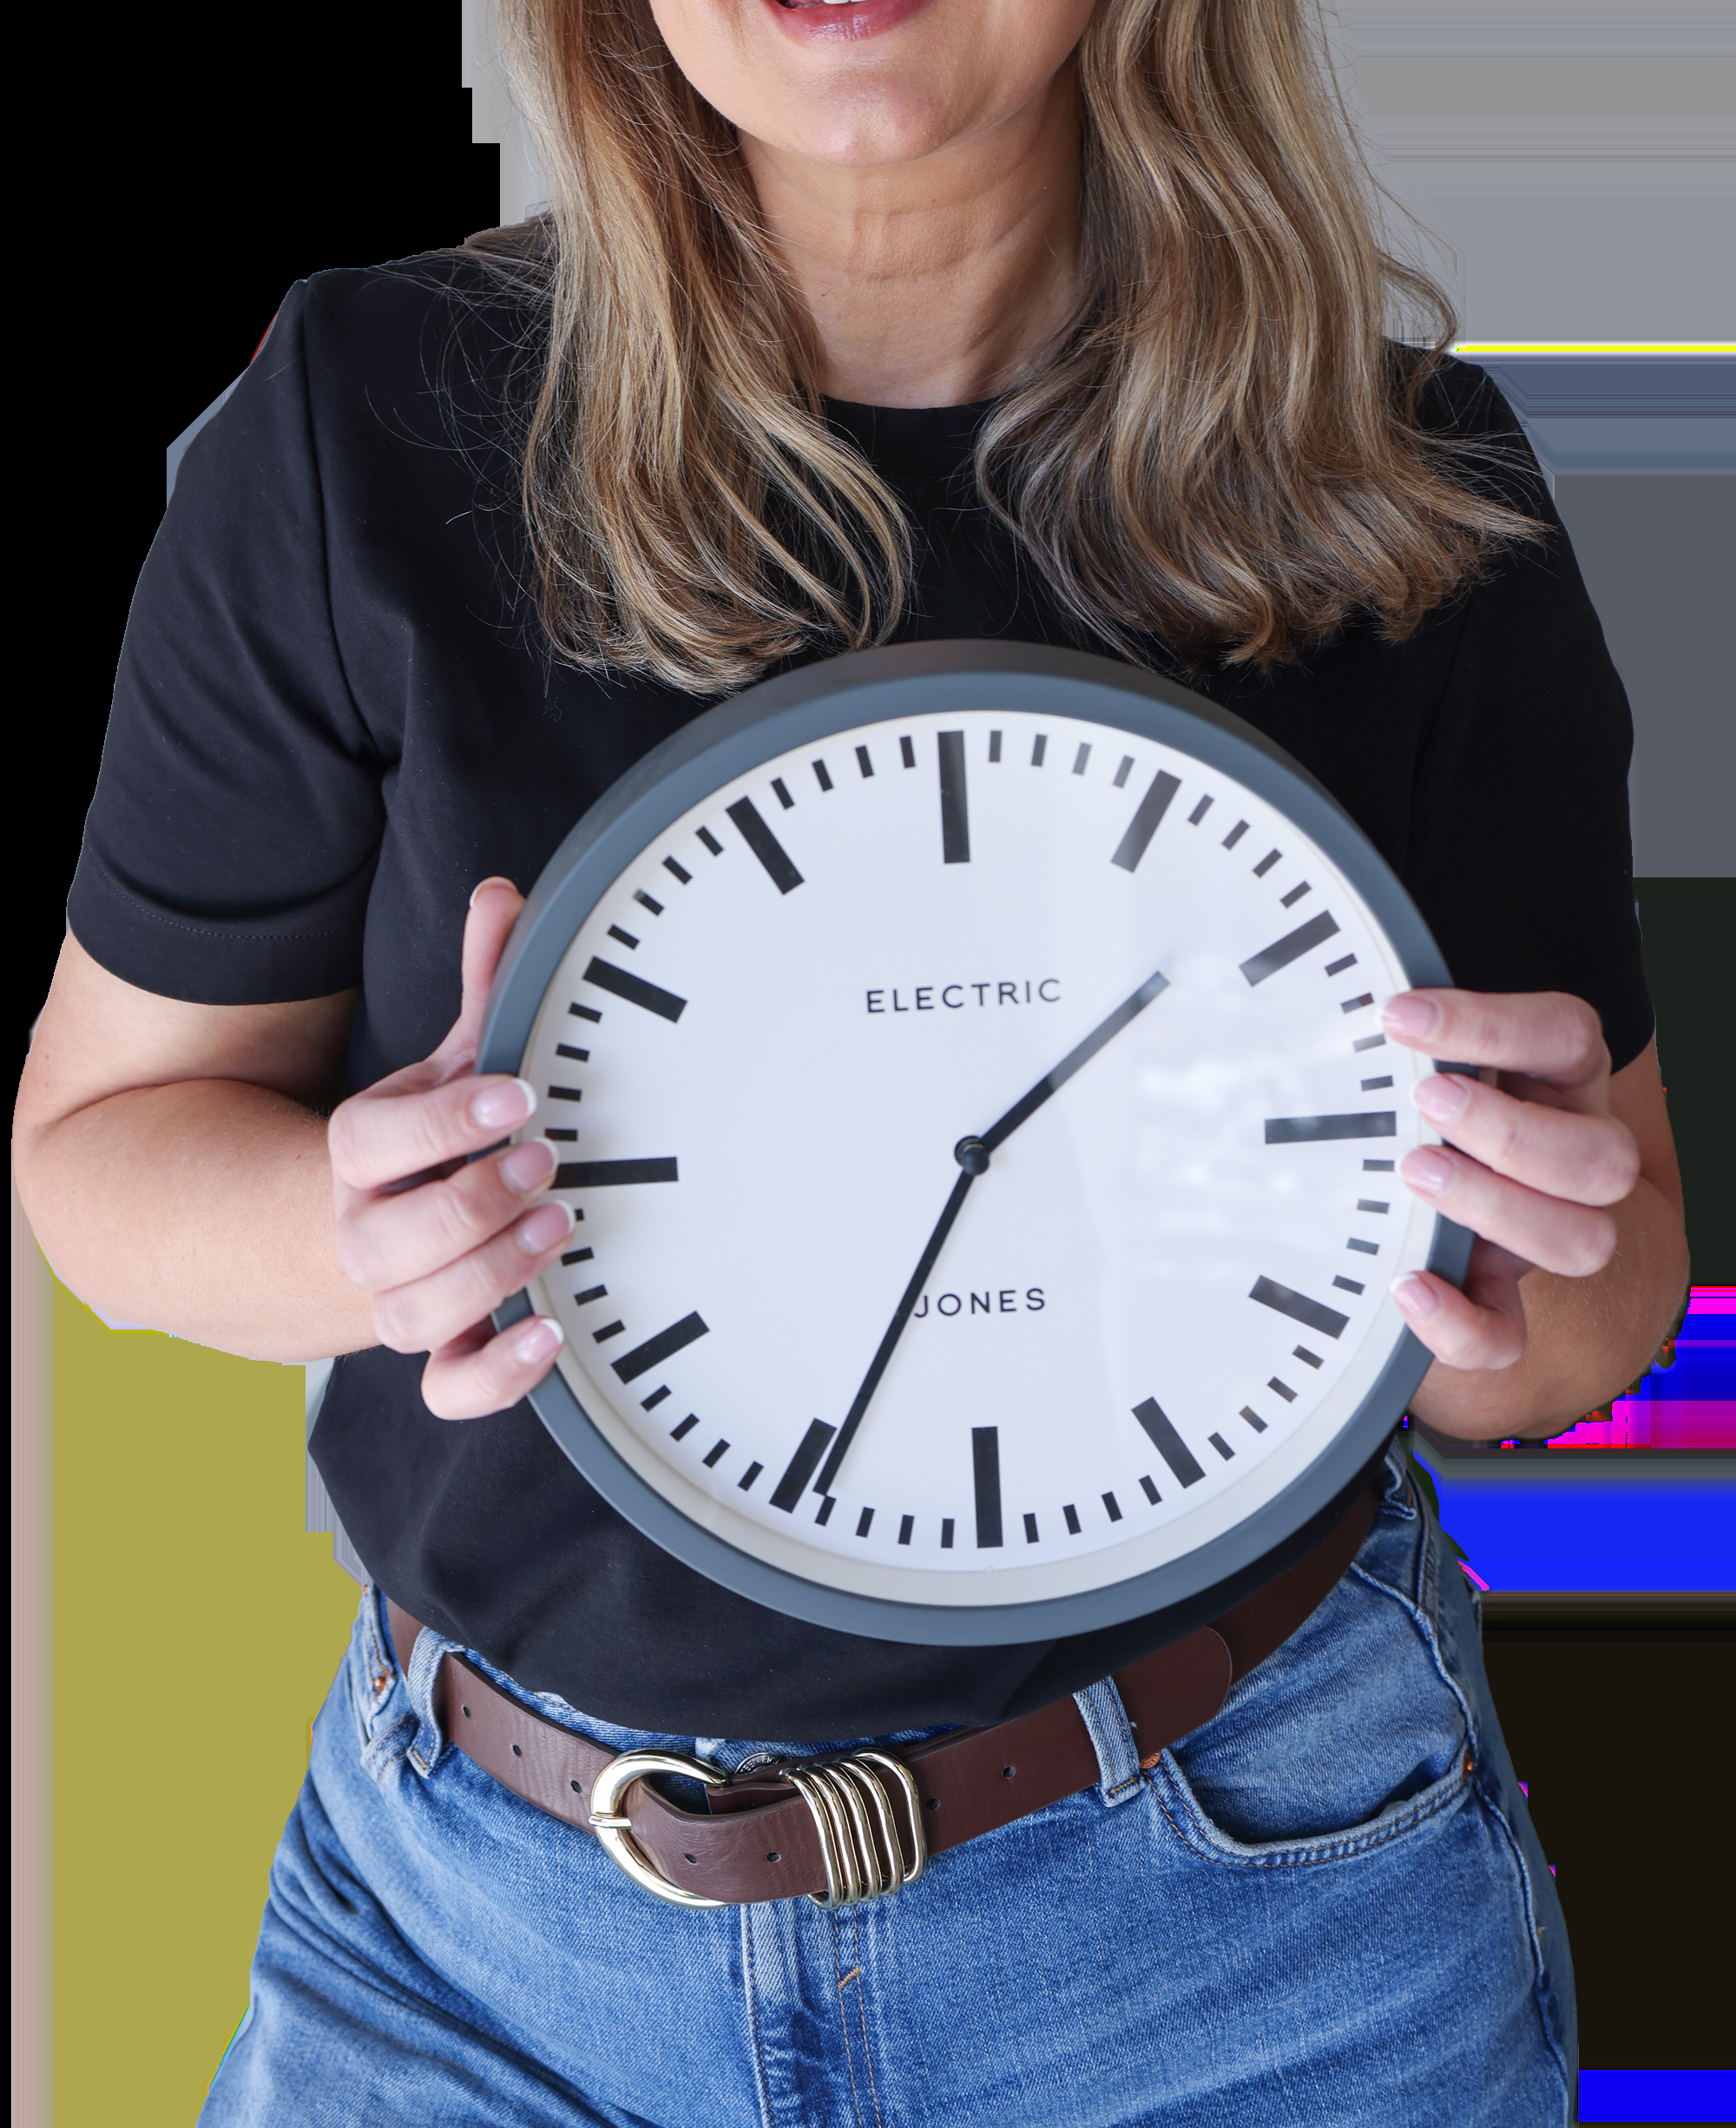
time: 1:34
